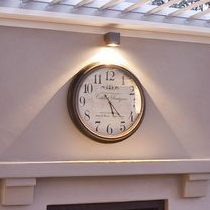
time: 5:23
